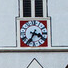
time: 3:34
